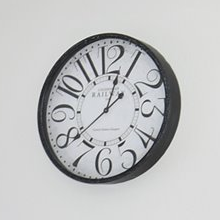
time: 12:38
